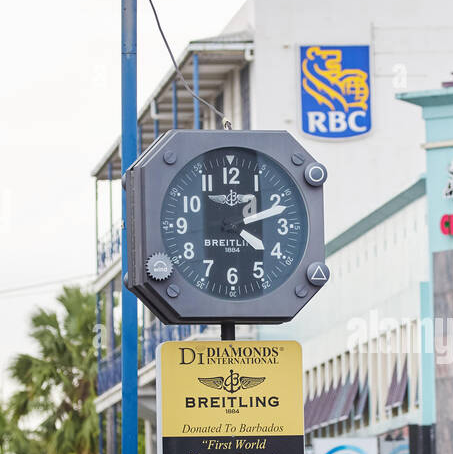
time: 4:11
